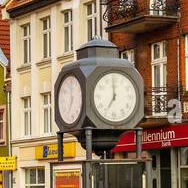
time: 7:00
